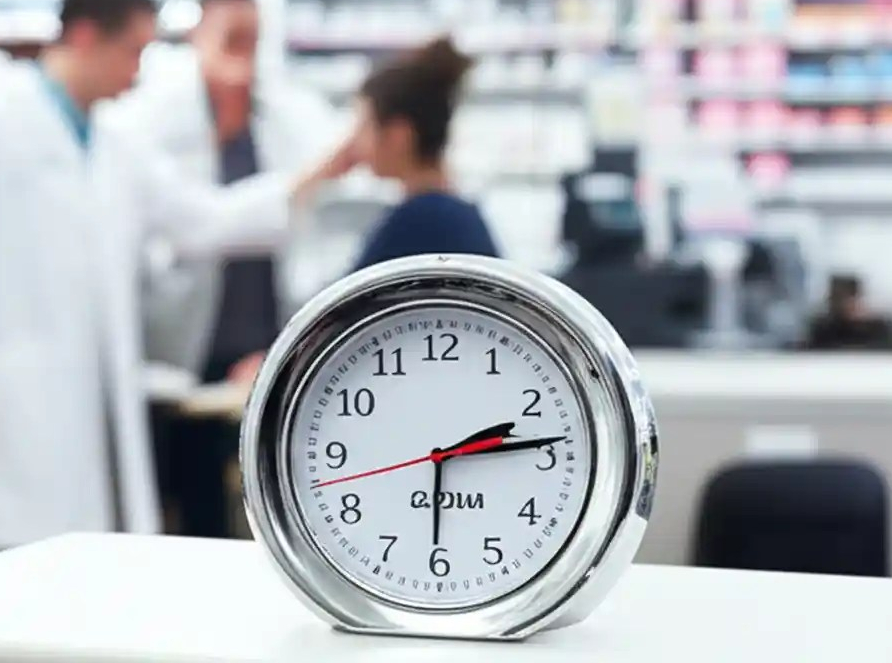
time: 2:13
